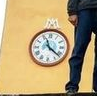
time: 11:21
